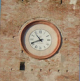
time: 10:41
